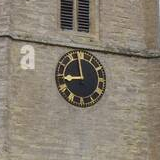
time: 8:58
